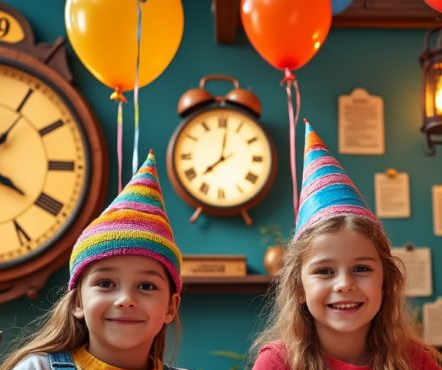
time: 8:01
